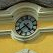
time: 4:38
